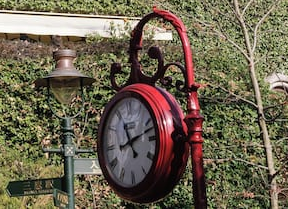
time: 11:12
